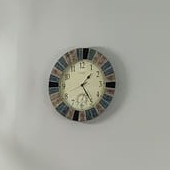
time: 1:24
